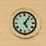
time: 5:06
